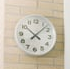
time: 10:07
